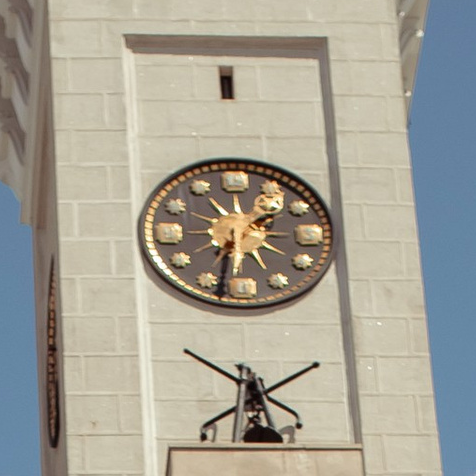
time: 1:32
